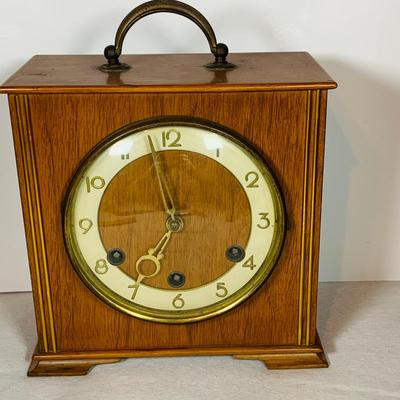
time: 6:58
